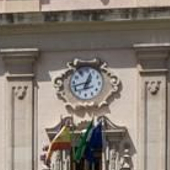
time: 12:42
